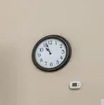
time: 10:56
